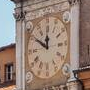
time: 11:50
